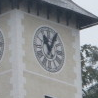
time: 11:04
